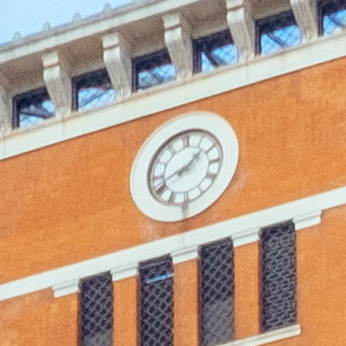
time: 1:41
